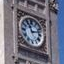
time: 11:12
